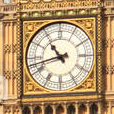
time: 10:42
